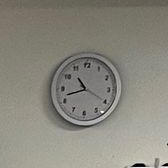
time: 10:42
